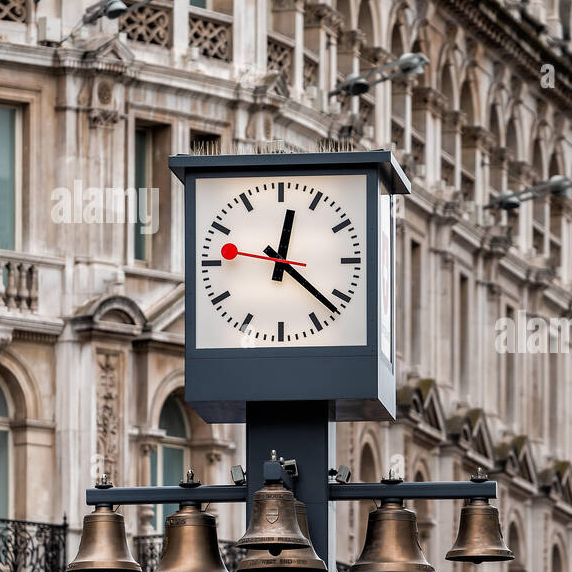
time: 12:21
